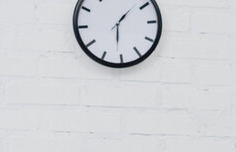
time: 1:30
